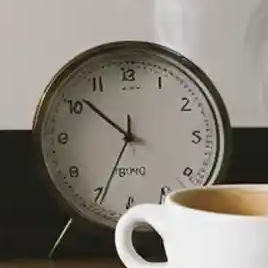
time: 6:51
